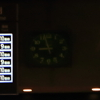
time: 8:57
